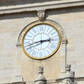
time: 2:42
